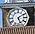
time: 5:09
